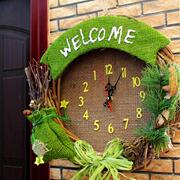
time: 12:04
